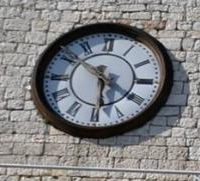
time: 5:51
